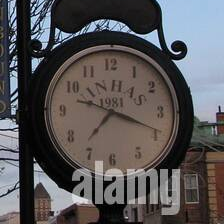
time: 7:18
